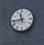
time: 11:43
